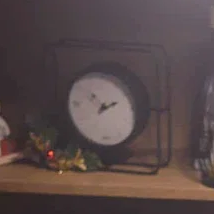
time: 10:10
